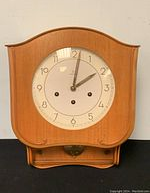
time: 2:01
